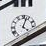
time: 4:03
